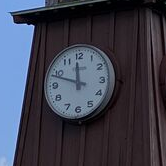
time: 11:48
